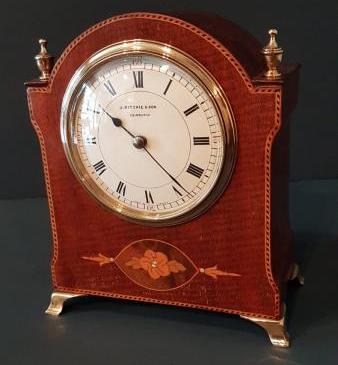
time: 10:23
